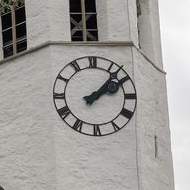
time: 2:07
